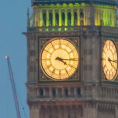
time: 4:15
